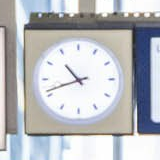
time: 10:41
